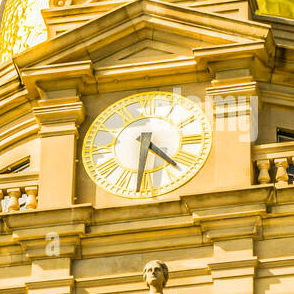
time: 4:31
